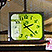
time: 2:22
